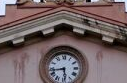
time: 5:43
